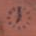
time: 7:00
